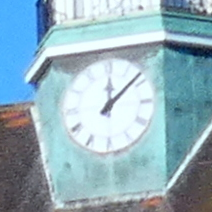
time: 12:07
